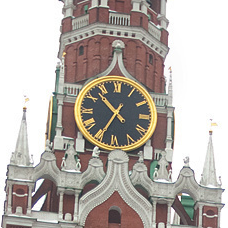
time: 10:34
